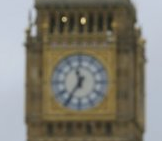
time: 11:35
